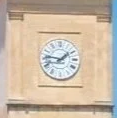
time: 1:46
